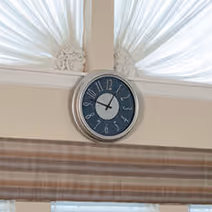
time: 12:47
